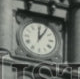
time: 12:05
